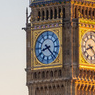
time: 8:22
